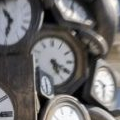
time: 5:19
